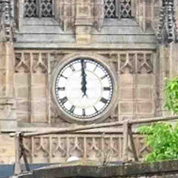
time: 11:59
